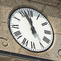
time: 11:56
